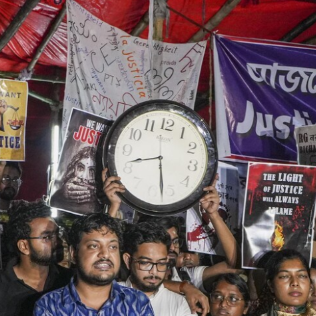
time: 8:27
